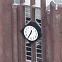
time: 12:34
